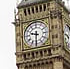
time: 9:31
